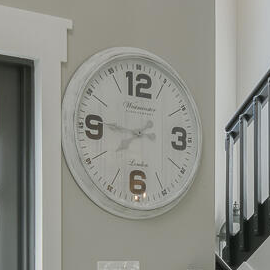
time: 7:45
